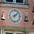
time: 8:07
